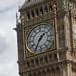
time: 1:35
